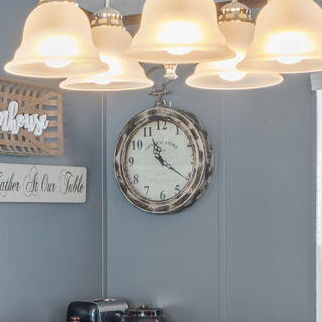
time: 11:21
